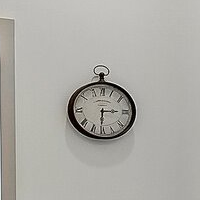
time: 6:14
